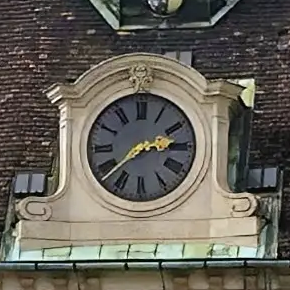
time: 2:38
